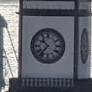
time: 10:37
